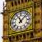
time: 11:07
